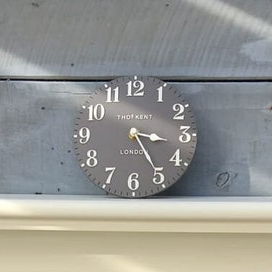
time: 3:24
